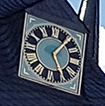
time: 5:06
